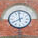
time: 7:58
